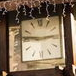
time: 2:46
